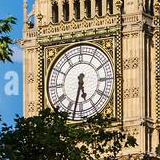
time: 5:32
